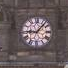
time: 9:07
